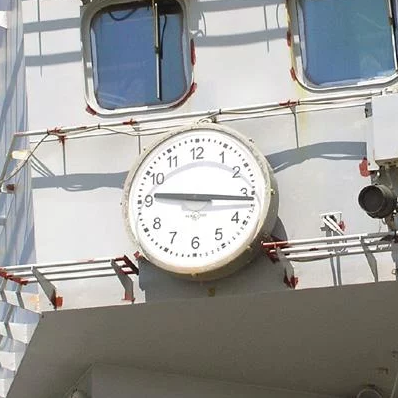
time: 9:15
